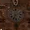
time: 7:12
